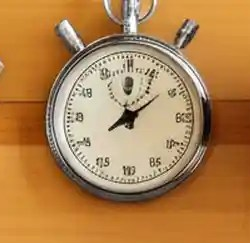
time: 12:09
